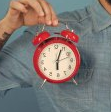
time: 6:03
